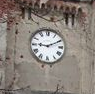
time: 9:10
